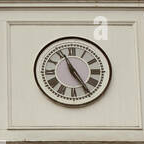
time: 4:56
